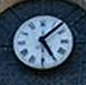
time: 5:07
